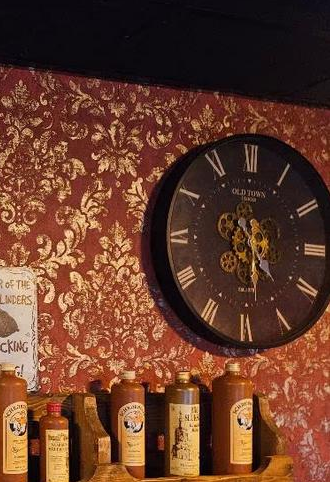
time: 4:28
